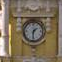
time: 1:30
